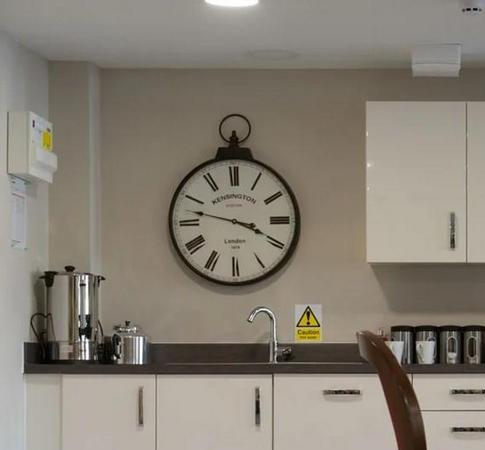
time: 3:47
